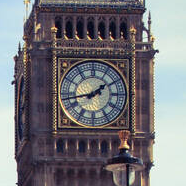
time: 1:43
